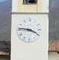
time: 3:46
